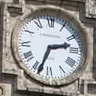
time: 2:33
